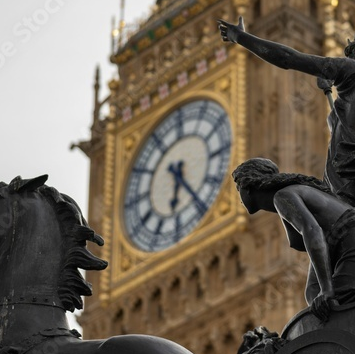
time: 6:24
